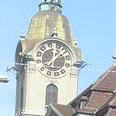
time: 12:07
